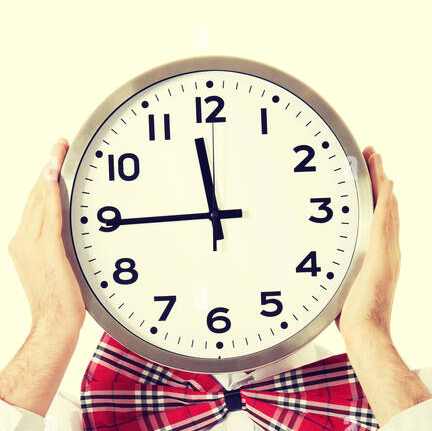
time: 11:44
